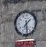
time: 1:28
